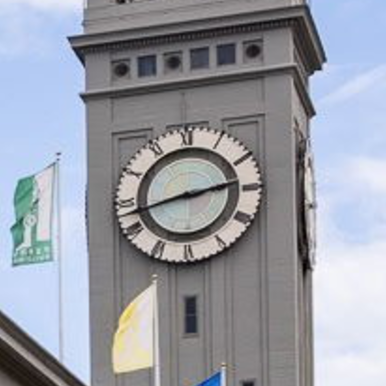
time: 2:42
